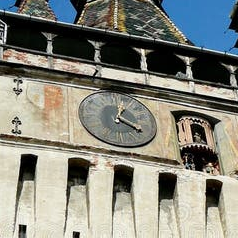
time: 4:02
